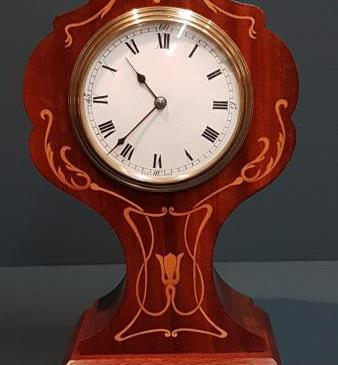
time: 10:36
